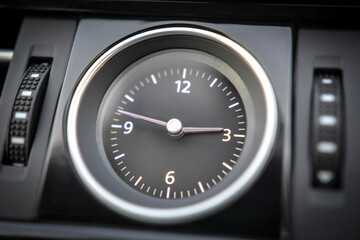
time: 2:47
